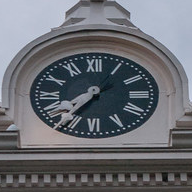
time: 7:36
